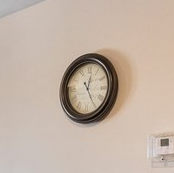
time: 12:24
